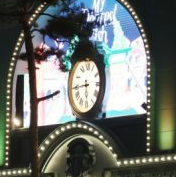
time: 5:44
